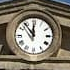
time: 11:53
